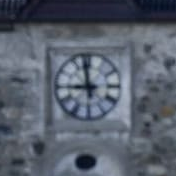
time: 8:57
